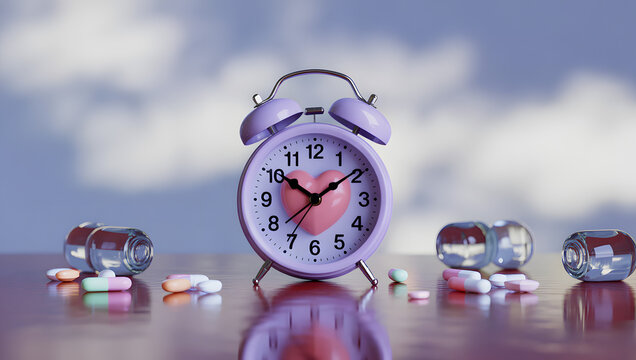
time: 10:09
